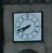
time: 7:41
